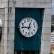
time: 12:46
